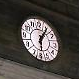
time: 6:05
